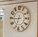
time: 6:44
